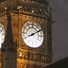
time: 8:09
